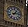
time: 1:13
